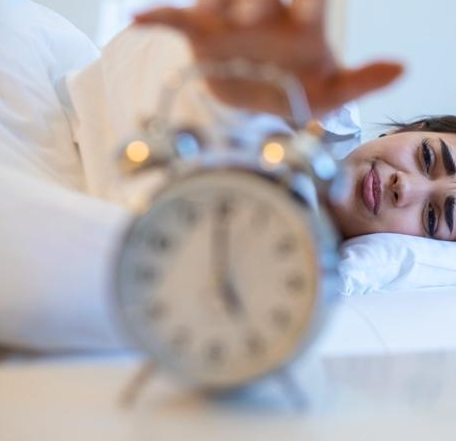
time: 4:59
